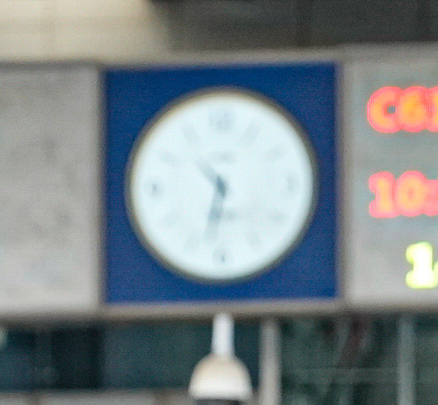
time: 6:32
